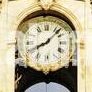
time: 8:07
